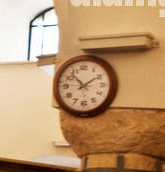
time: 1:52
